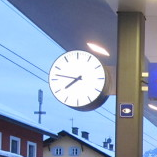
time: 7:46
